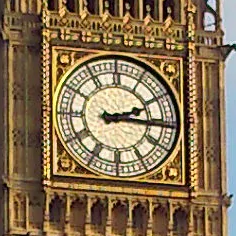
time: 2:15
